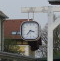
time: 3:36
